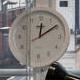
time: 12:09
